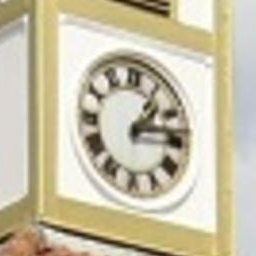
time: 1:13
